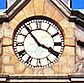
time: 3:53
